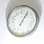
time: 1:05
